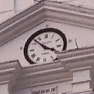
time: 3:52
